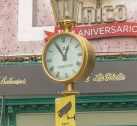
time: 12:55
